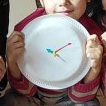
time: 4:10
